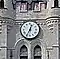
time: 12:34
